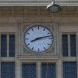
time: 8:12
